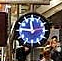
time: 11:46
